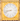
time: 8:42
